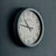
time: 10:47
